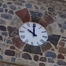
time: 9:59
